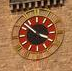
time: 3:52
